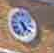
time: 5:21
